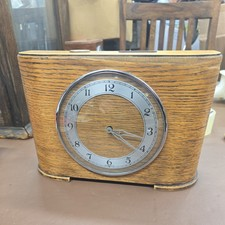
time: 4:17
